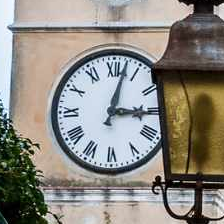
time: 3:02
